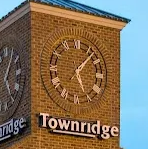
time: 5:07
